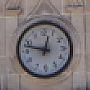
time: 12:47
